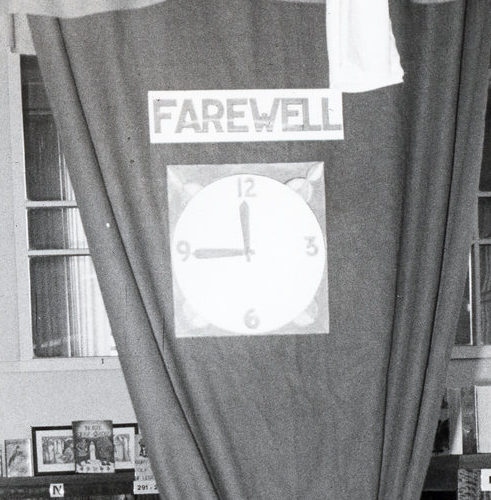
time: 11:44
